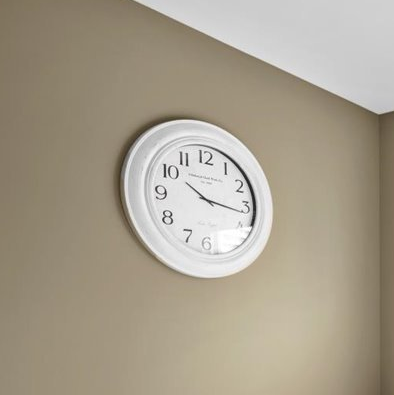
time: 10:16
